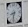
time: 8:32
